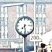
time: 7:28
